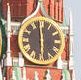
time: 5:59
